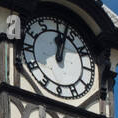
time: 12:03
